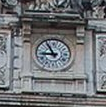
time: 8:54
